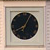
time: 8:04
